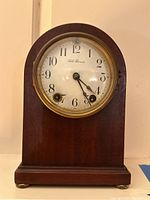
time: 4:25
